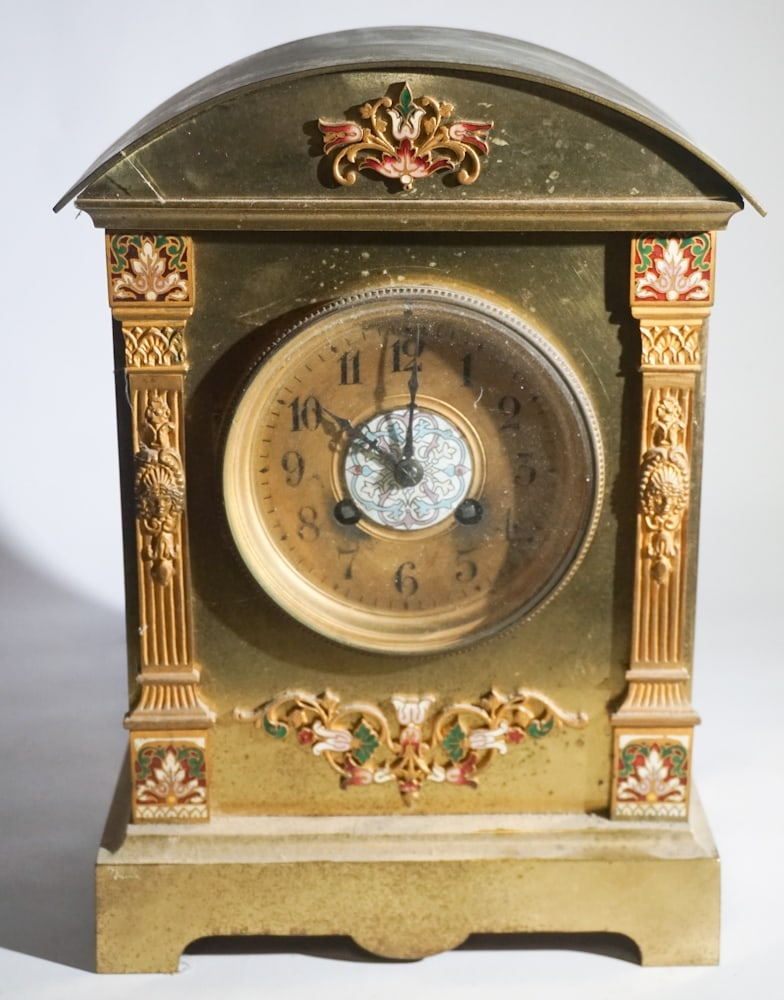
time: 10:00
